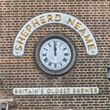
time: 11:59
